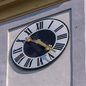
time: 10:22
